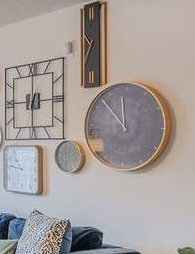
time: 11:52
